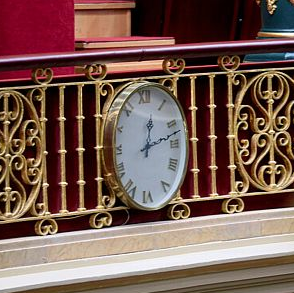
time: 12:12
